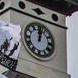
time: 12:02
